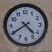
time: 4:39
